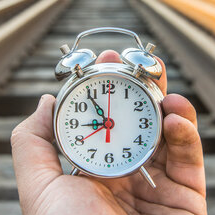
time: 8:54
